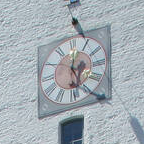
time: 6:01
